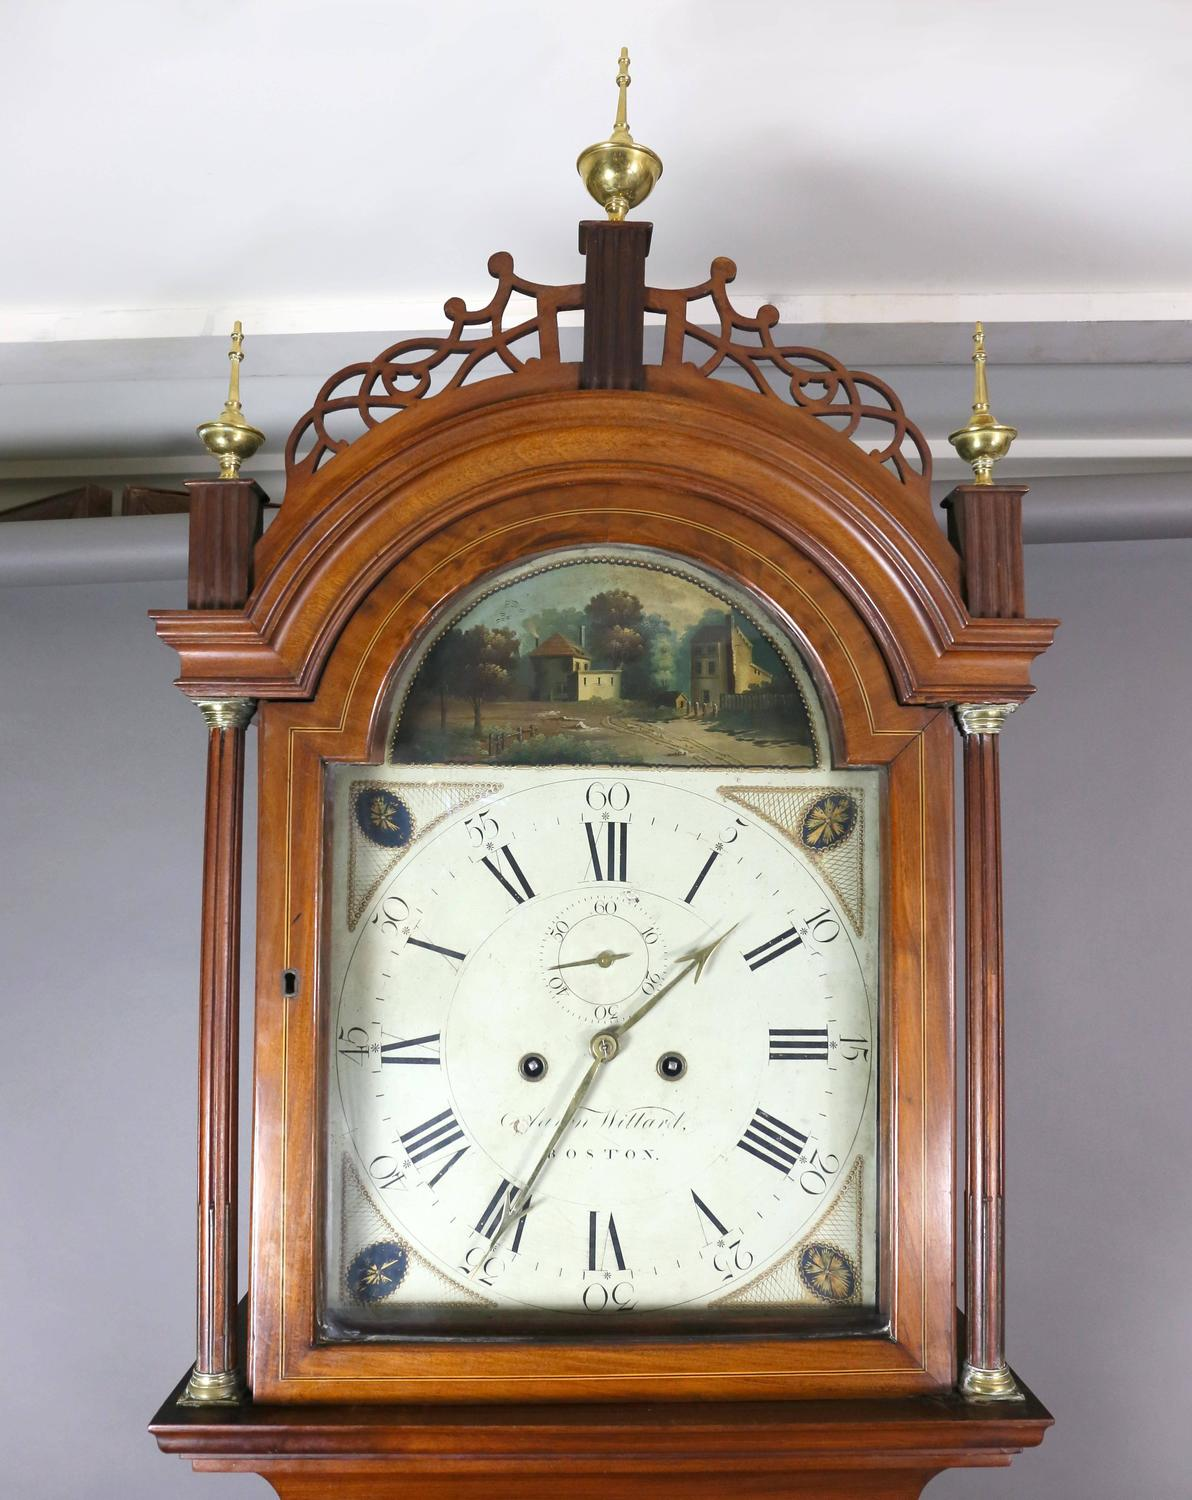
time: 1:35
